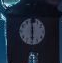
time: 5:59
